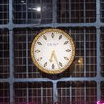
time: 6:26
